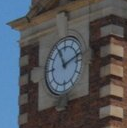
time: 11:12
